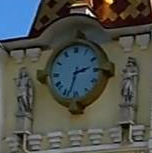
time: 2:33
